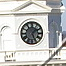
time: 1:26
